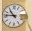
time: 10:46
